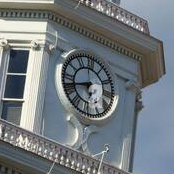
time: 5:41
